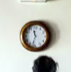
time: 11:32
